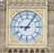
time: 9:05
